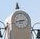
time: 2:42
